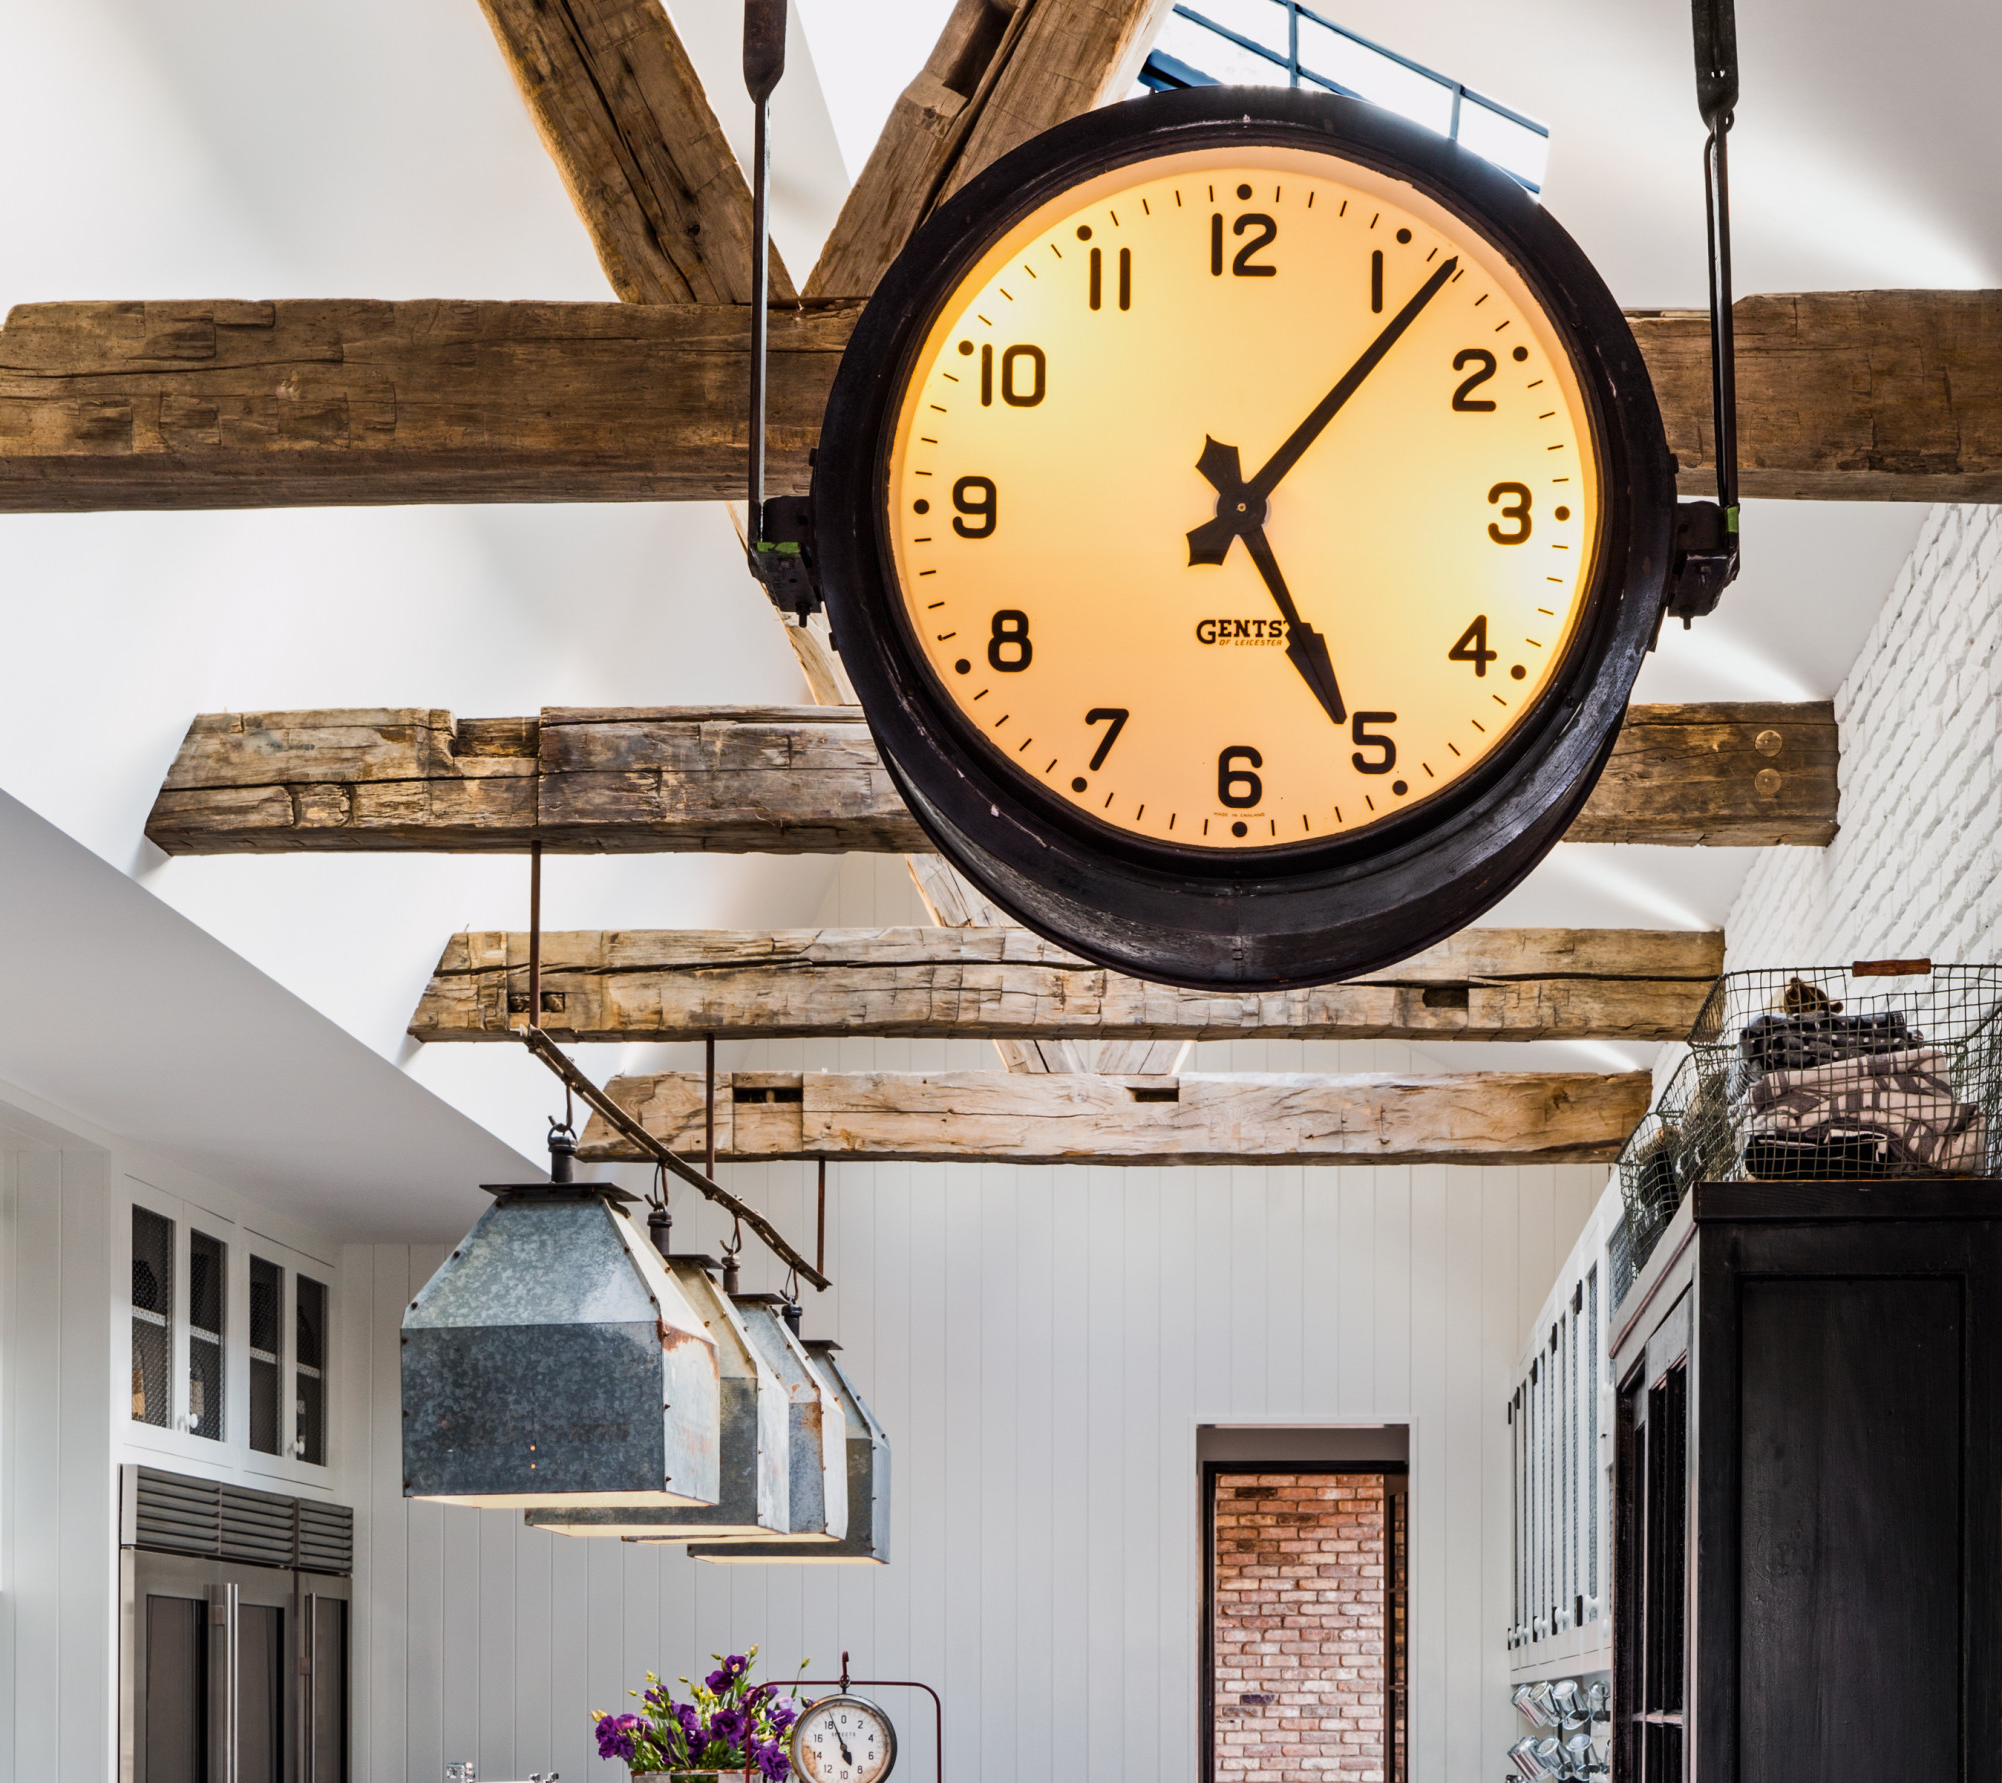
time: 5:06
